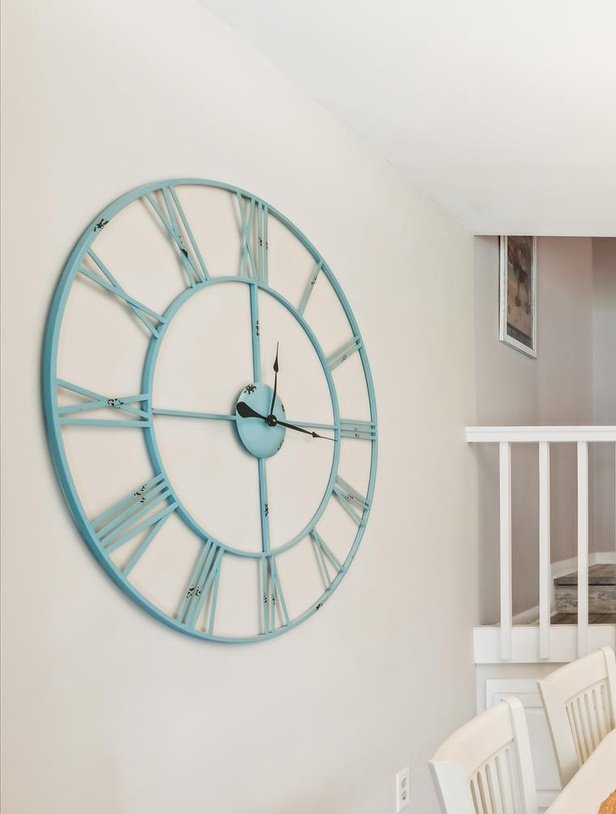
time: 3:15
